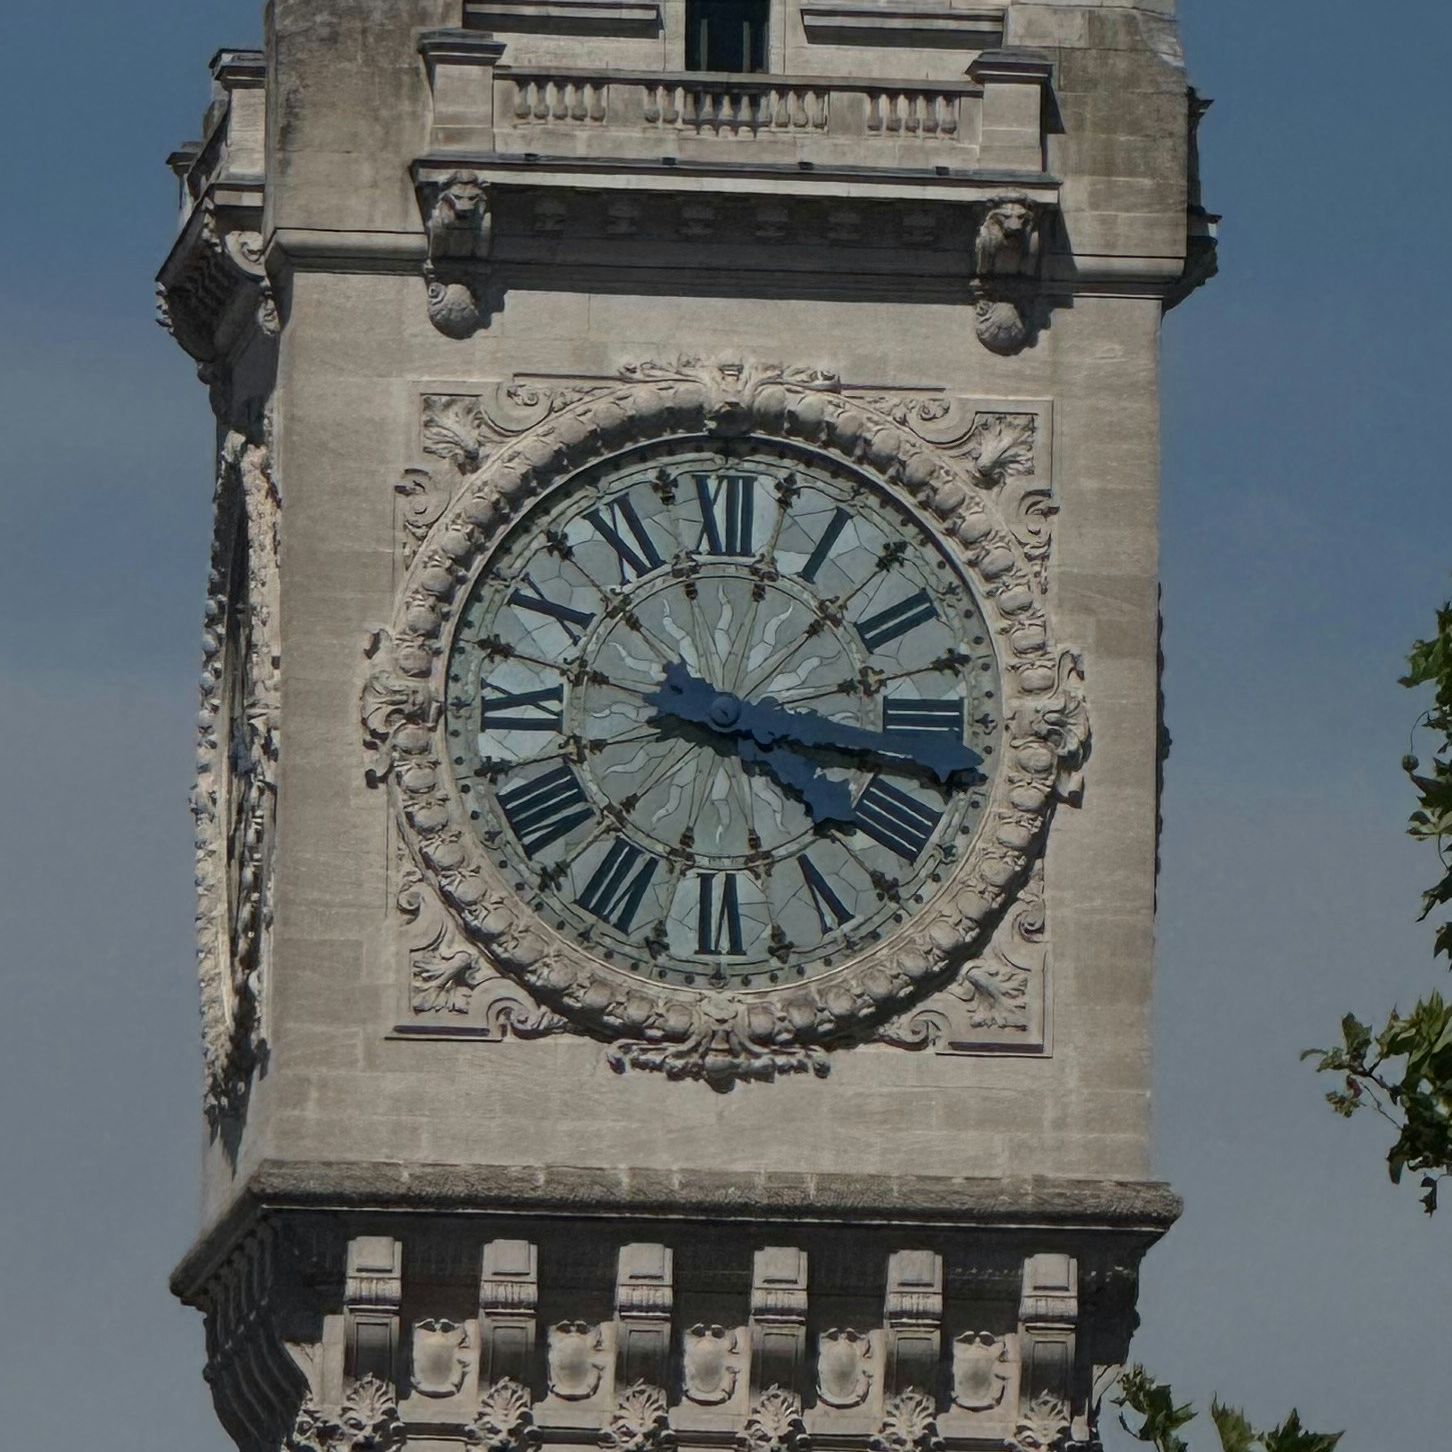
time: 4:16
